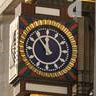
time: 11:53
